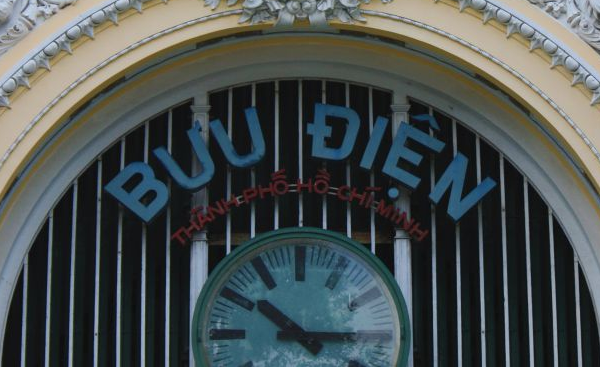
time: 10:15
